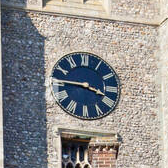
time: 3:45
